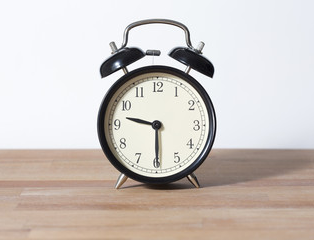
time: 9:29
